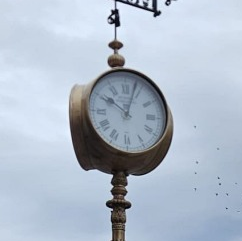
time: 10:03
